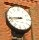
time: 8:43
